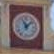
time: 11:07
